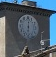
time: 6:01
